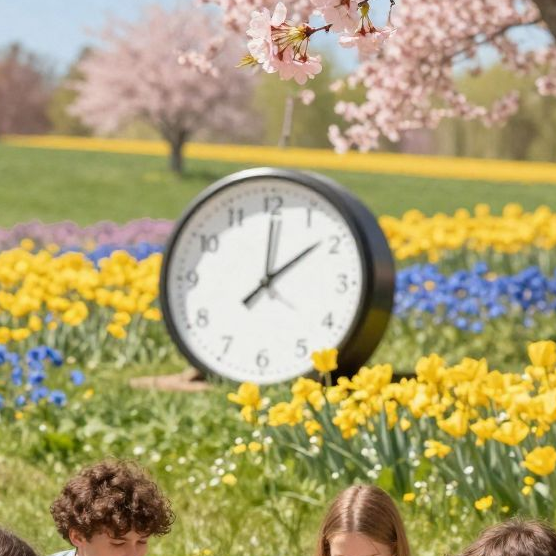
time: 12:08
